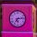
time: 7:13
